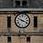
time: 3:48
